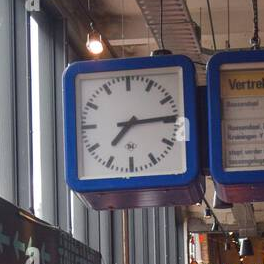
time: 7:14
